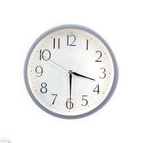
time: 3:29
